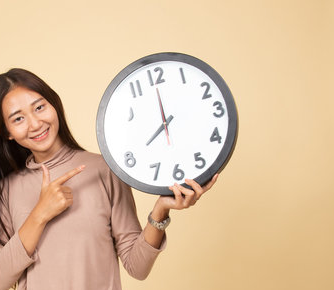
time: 7:59
